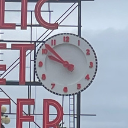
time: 9:51
